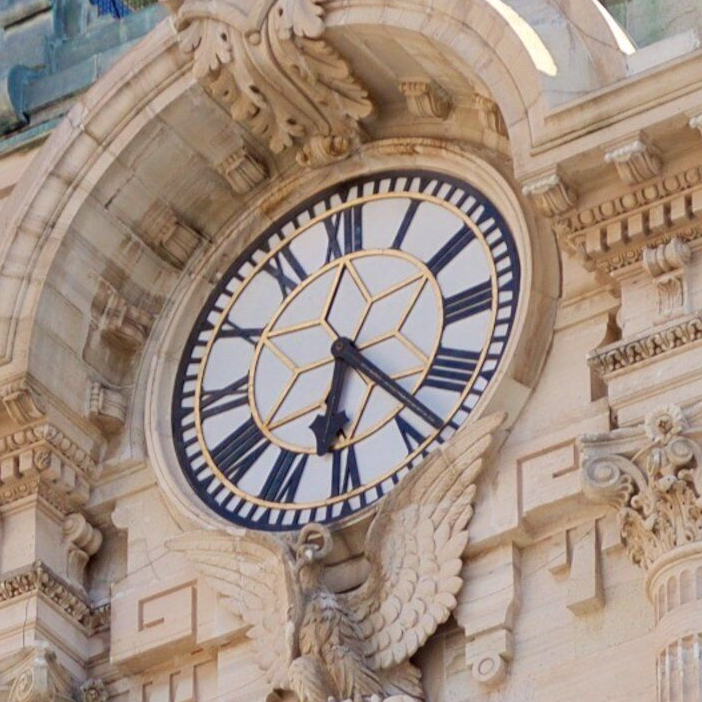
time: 6:23
